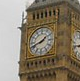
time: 1:41
